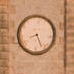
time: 8:26
